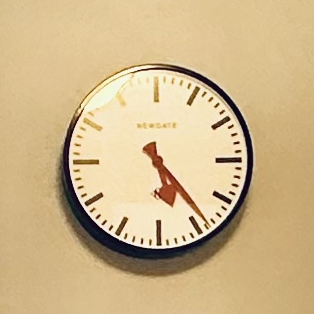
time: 5:23
